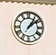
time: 1:08
